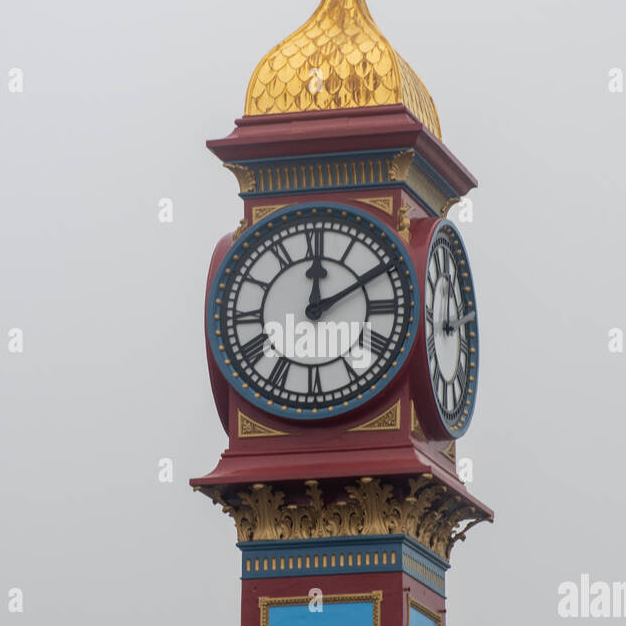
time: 12:10
